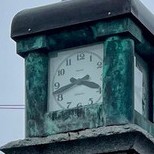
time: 3:42
